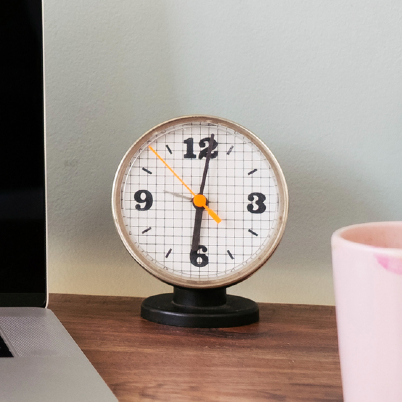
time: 6:01
